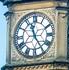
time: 11:24
